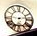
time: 9:12
